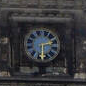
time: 2:29
